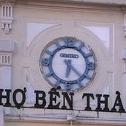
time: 6:22
